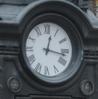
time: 12:16
